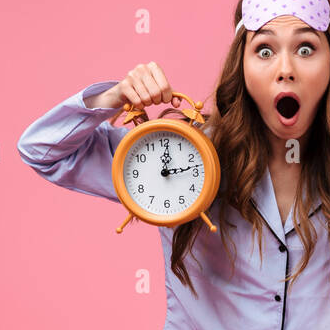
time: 12:13
